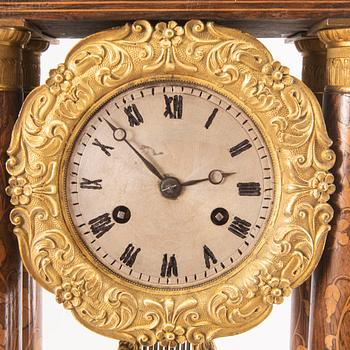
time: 2:52
